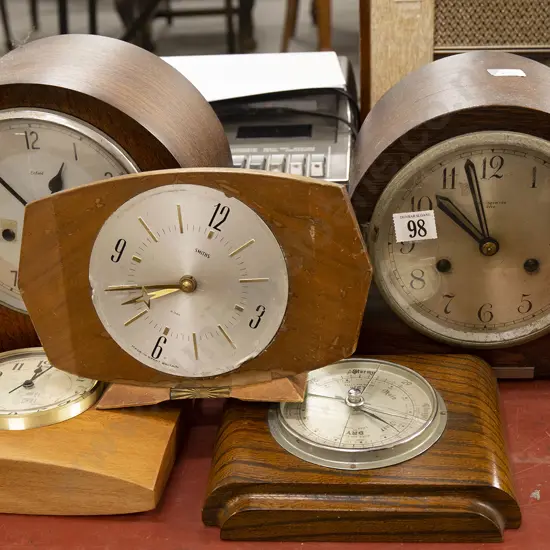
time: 9:57
